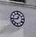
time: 12:43
